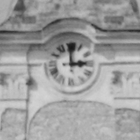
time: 2:59
